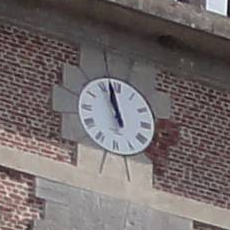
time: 10:57
